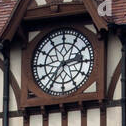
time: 2:35
